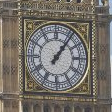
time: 1:06
